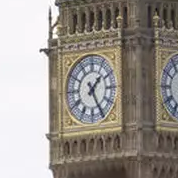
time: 1:25
